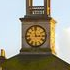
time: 2:58
